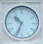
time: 10:34
